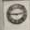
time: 9:12
